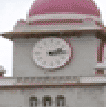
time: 2:14
